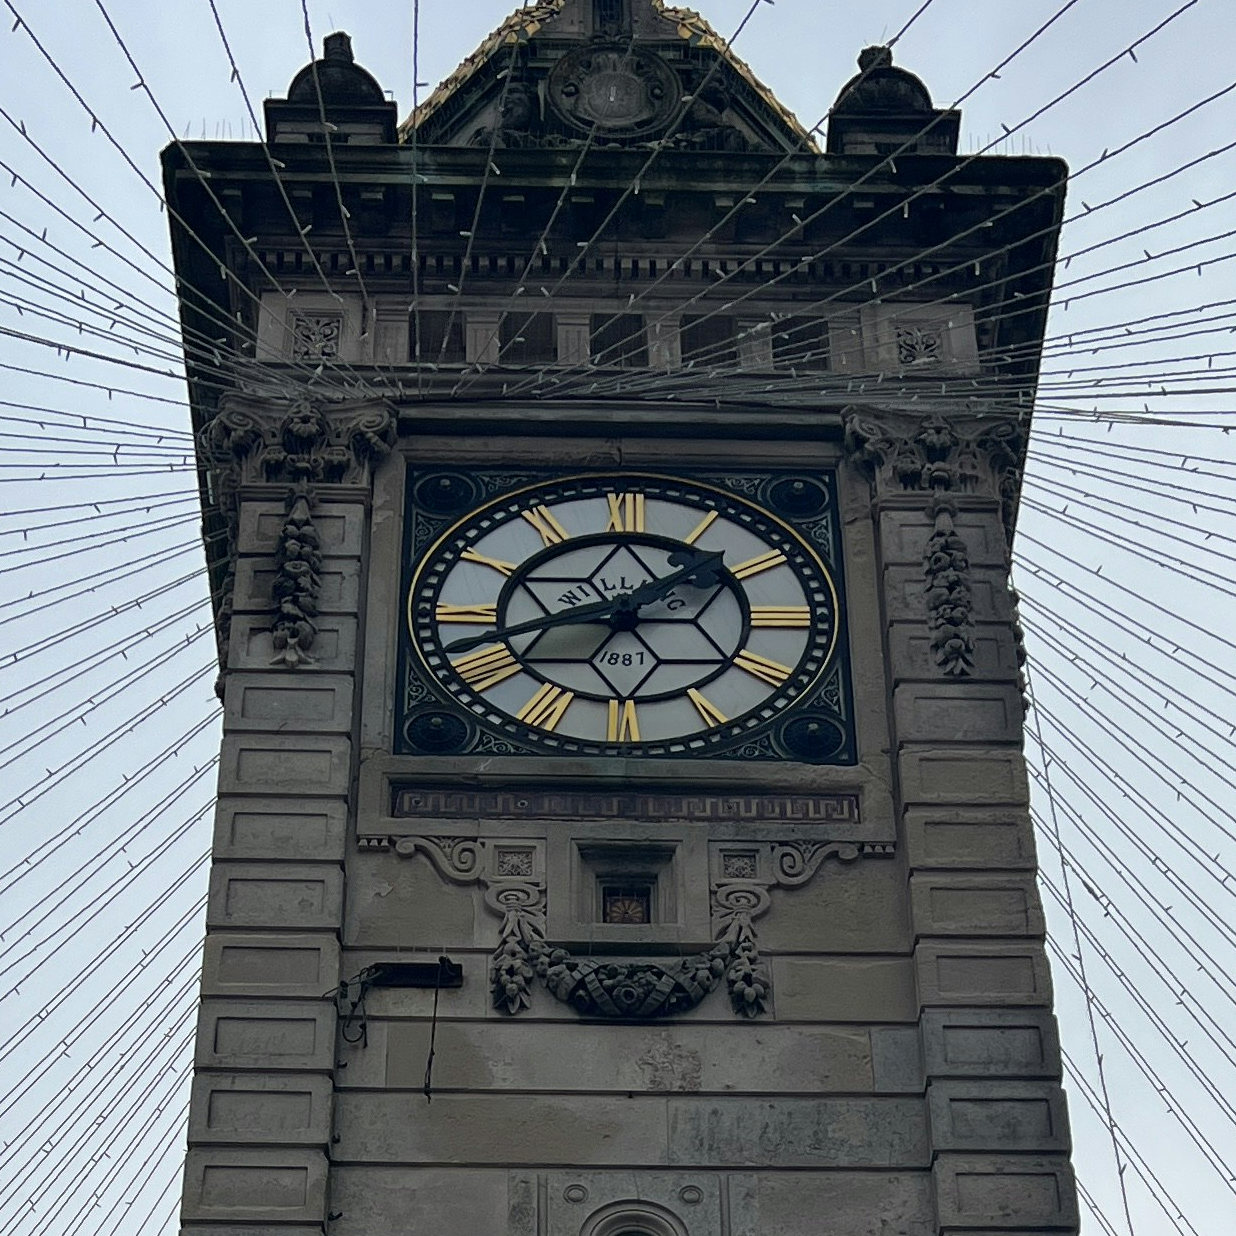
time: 1:42
